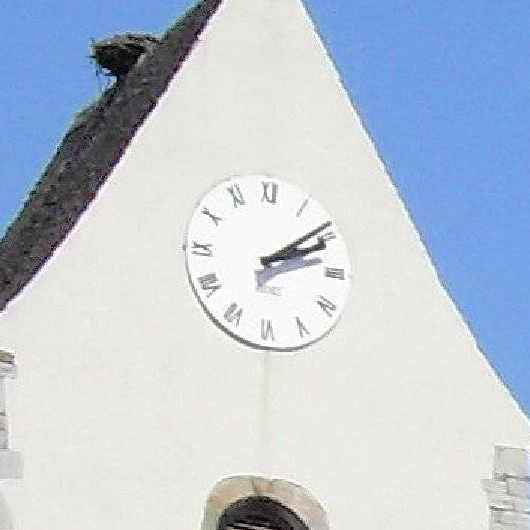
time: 2:08
